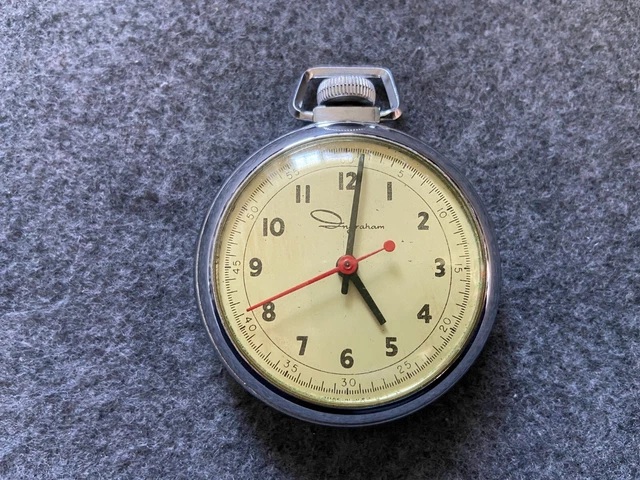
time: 5:01
